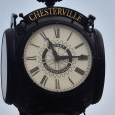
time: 11:14
